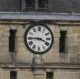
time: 3:45
